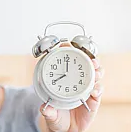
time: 8:00
